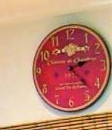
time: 2:23
